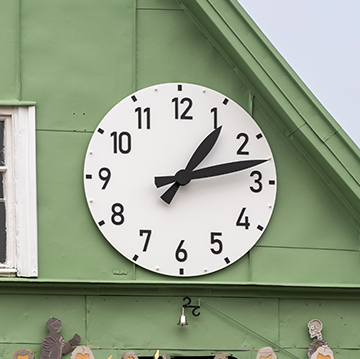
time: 1:12
